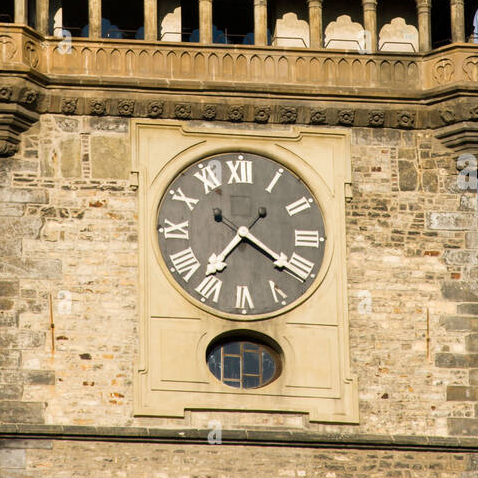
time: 7:20
